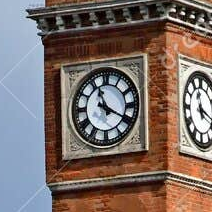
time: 11:19
